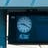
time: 9:20
